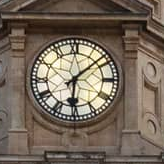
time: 6:07
